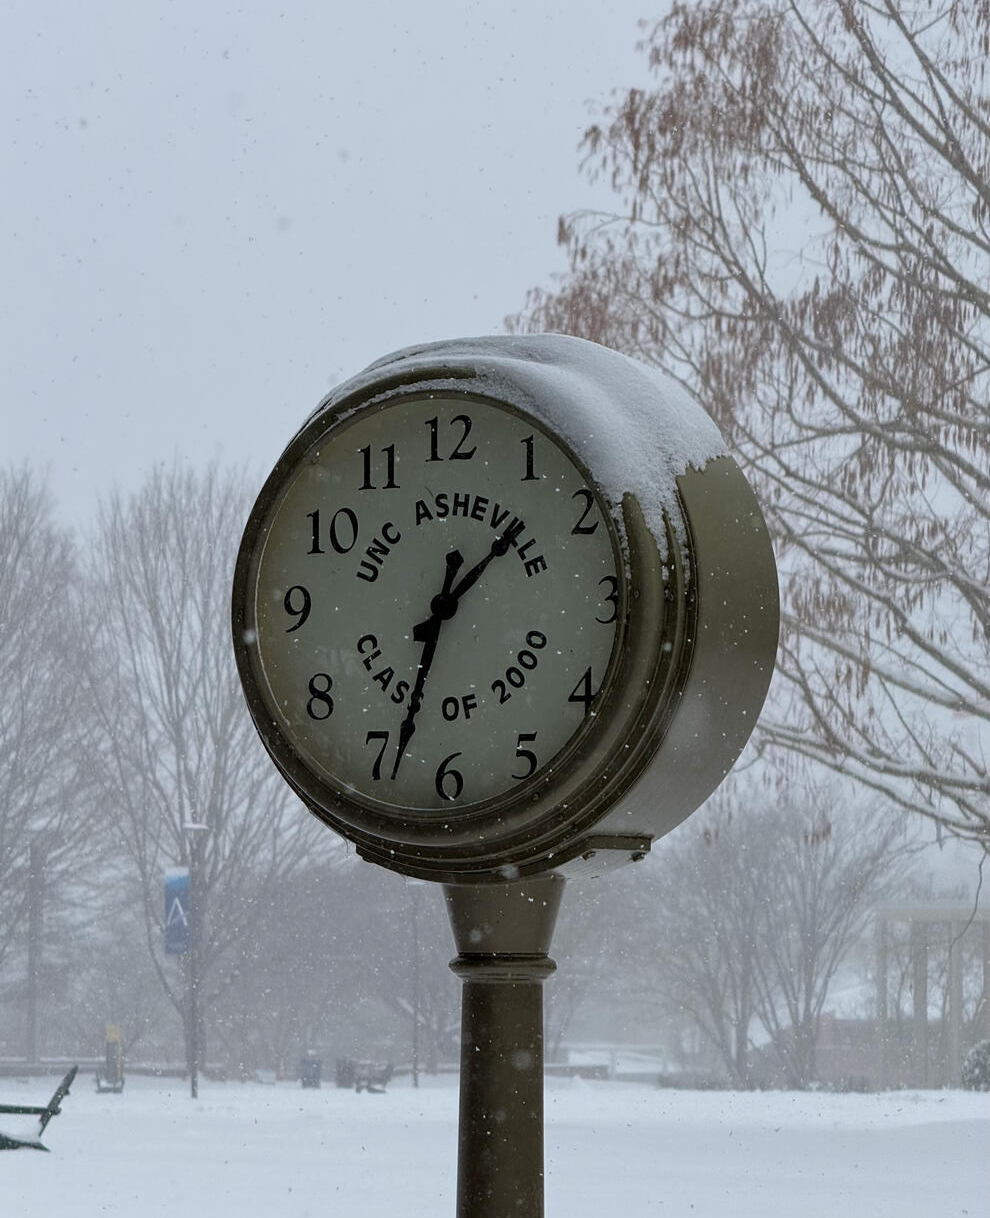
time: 1:33
